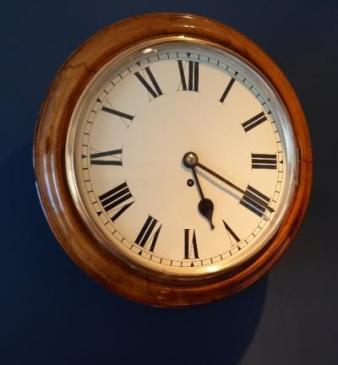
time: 5:19
